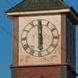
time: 5:59
